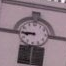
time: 8:45
